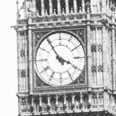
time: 3:54
